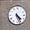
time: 4:26
